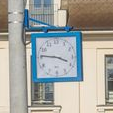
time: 3:46
